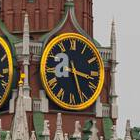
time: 3:27
